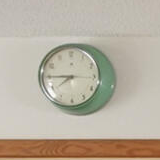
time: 7:44
